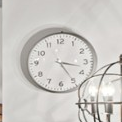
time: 3:24
